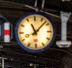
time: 11:07
